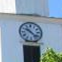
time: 10:22
